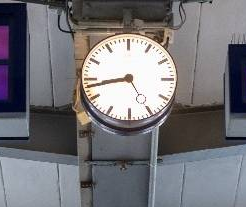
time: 8:43
